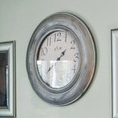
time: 1:39
